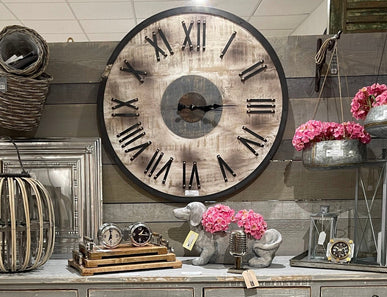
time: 3:13
